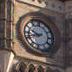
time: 9:42
